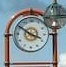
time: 3:50
